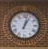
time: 1:02
